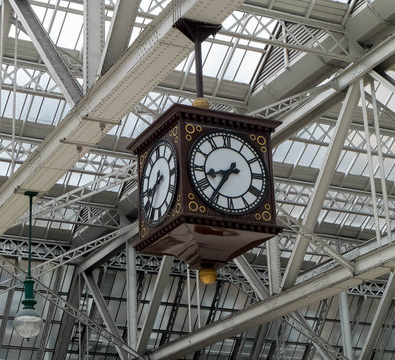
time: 8:35
